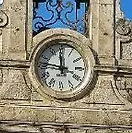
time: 11:46
